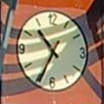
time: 10:34
